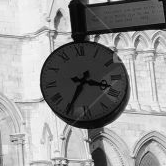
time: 3:34
